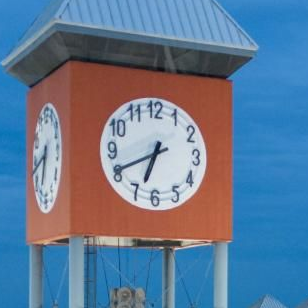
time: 6:40
